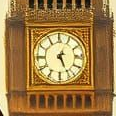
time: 12:26
